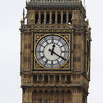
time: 12:20
